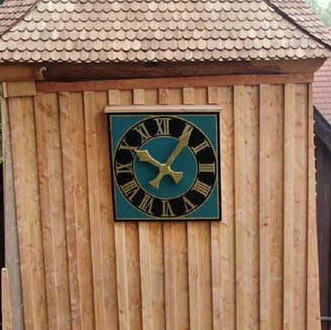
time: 10:06
